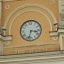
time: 3:32
